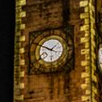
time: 1:49
